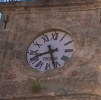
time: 8:26
